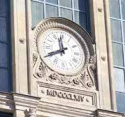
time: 11:40
